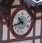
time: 10:42
